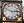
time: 2:48
